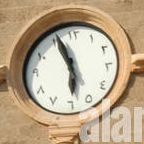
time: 5:56
